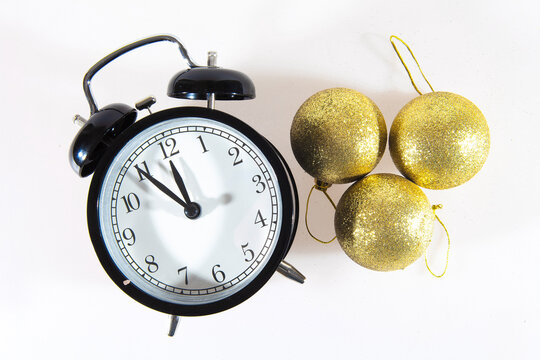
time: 11:54
